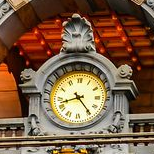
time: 8:24
